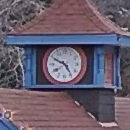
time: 4:49
